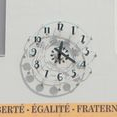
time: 12:20
